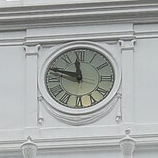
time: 11:48
